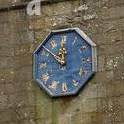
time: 11:51
